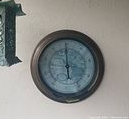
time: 5:59
